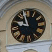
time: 9:57
